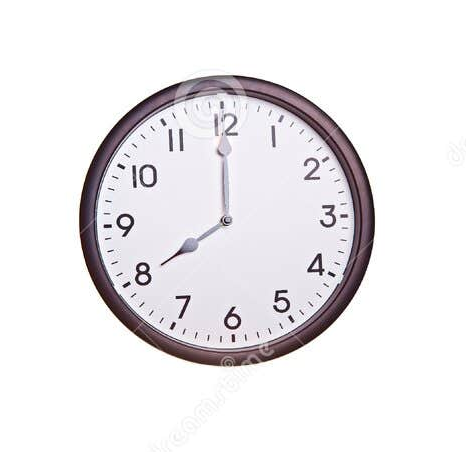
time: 7:59
